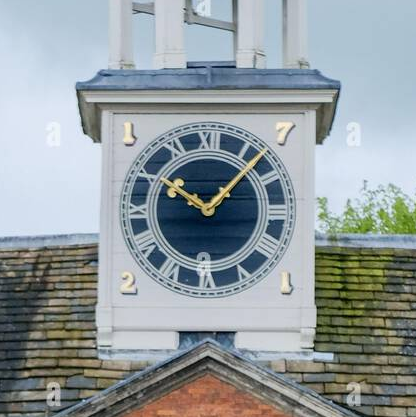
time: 10:07
